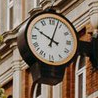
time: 10:03
